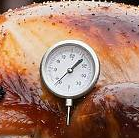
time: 1:37
